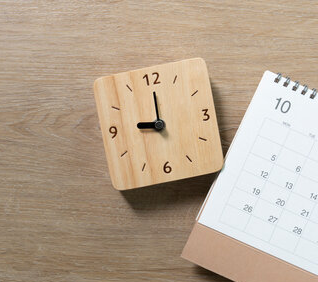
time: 9:00
